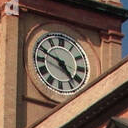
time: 4:48
